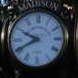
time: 9:41
